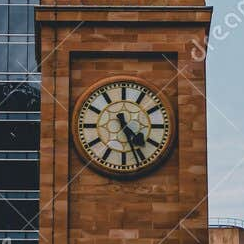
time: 4:26
